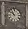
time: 10:51
